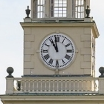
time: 10:58
